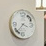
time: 3:37
